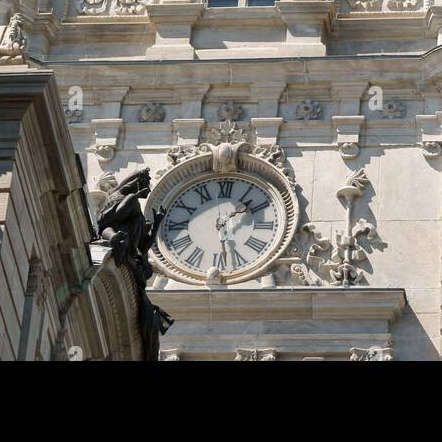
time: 1:28
